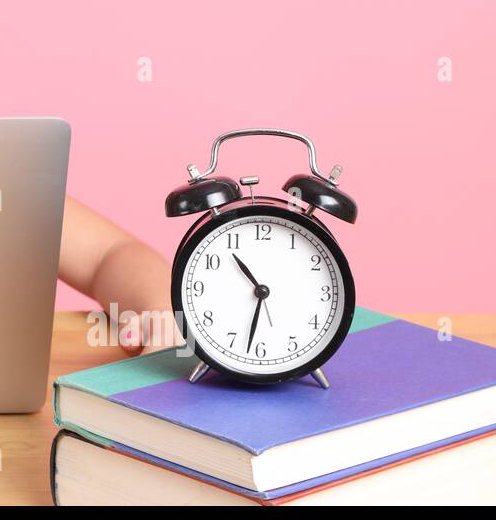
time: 10:32
